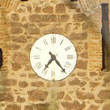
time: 7:23
